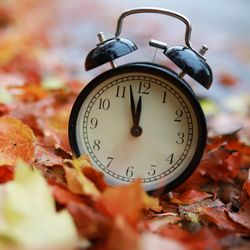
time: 11:57
